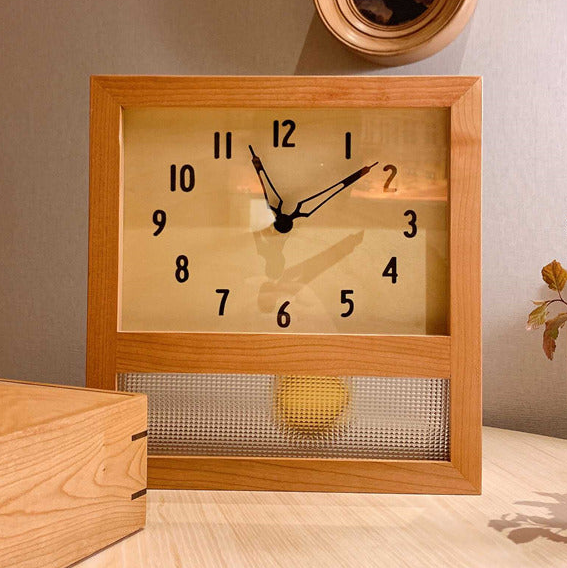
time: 1:56
